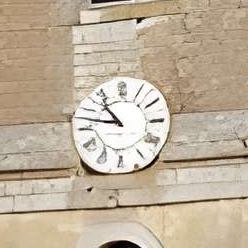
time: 10:47
